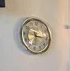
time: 6:16
